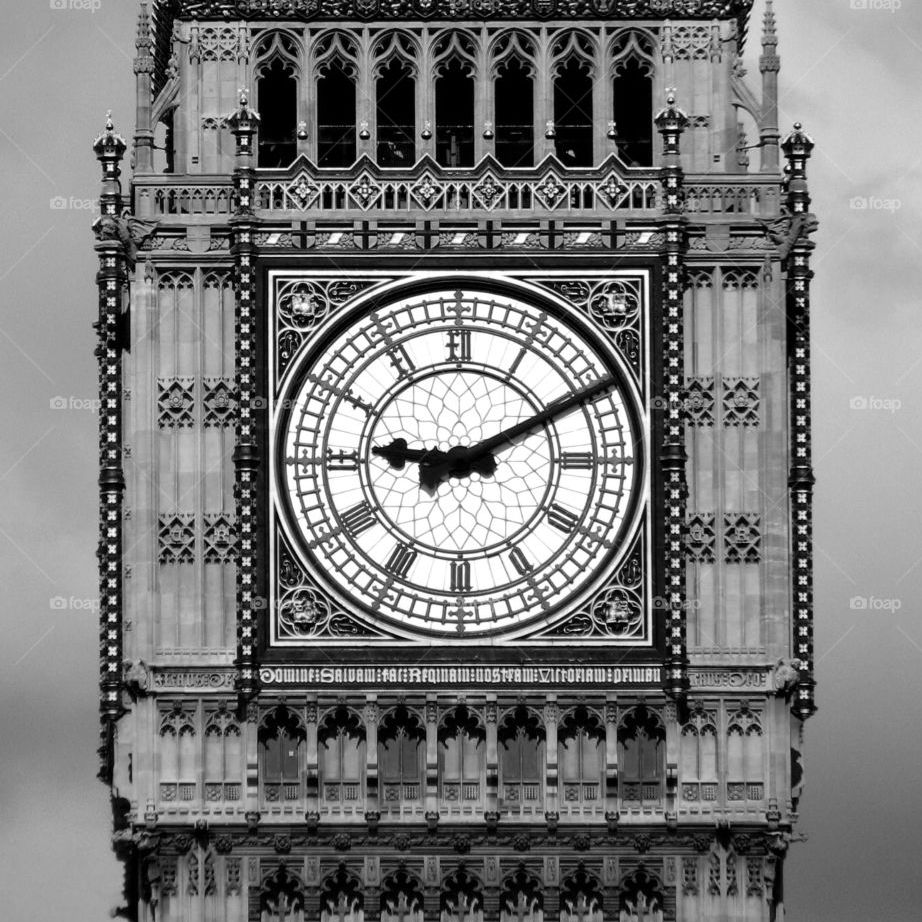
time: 9:10
